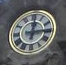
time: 12:14
